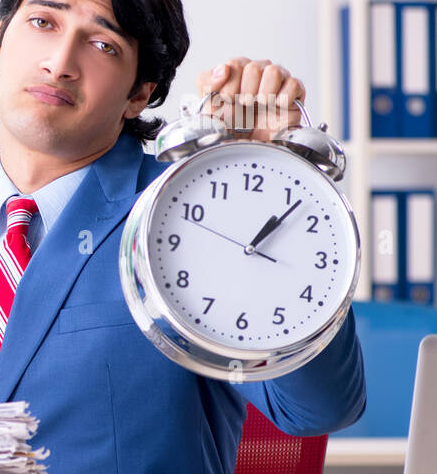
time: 1:06
